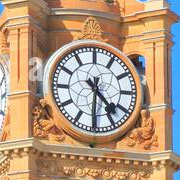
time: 4:30
